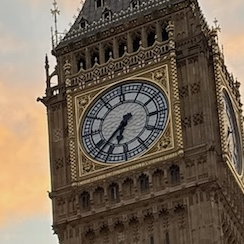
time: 6:37
